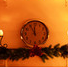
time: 11:55
